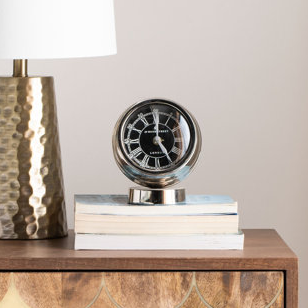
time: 5:00
